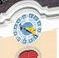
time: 3:19
